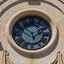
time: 1:50
